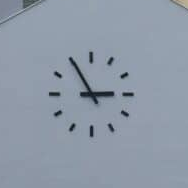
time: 2:54
